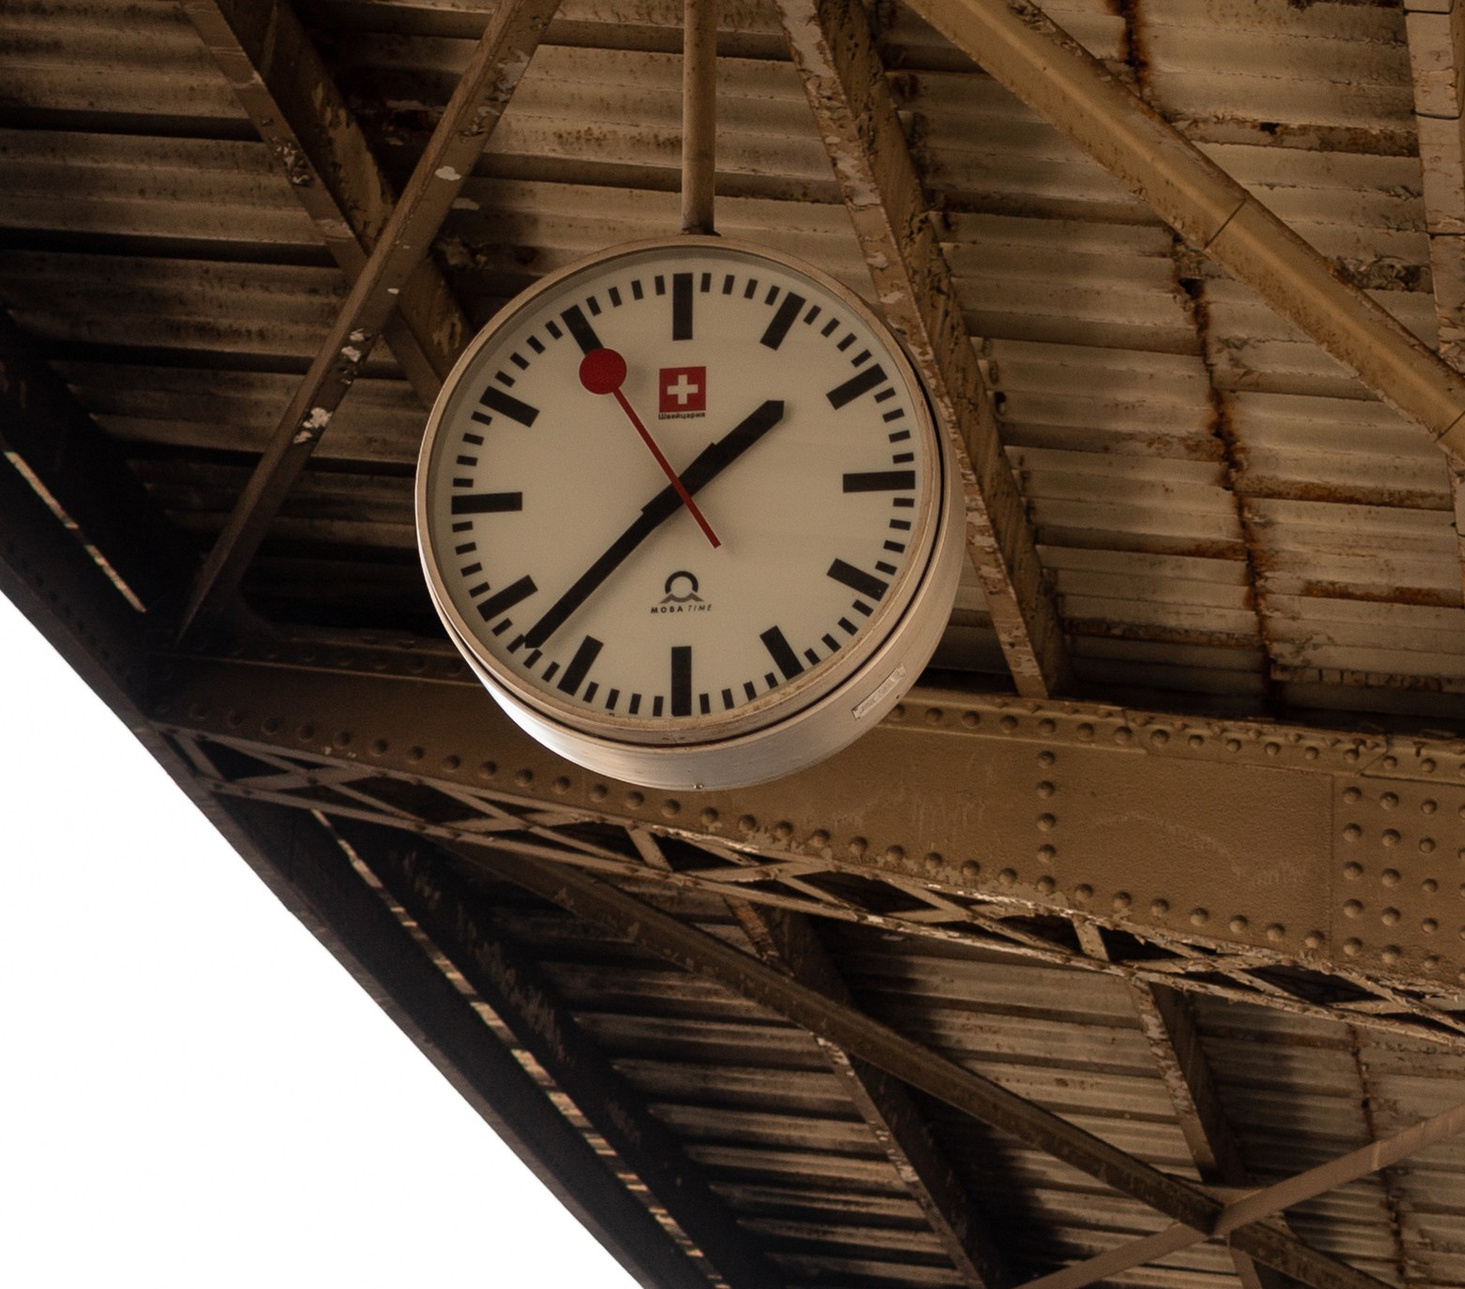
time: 1:37
